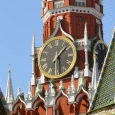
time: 1:28
